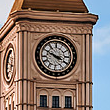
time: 3:49
